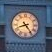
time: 8:24
